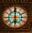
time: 5:59
